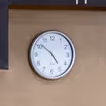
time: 4:51
